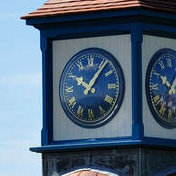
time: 10:06
